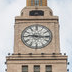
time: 9:15
